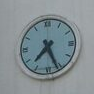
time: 7:26
